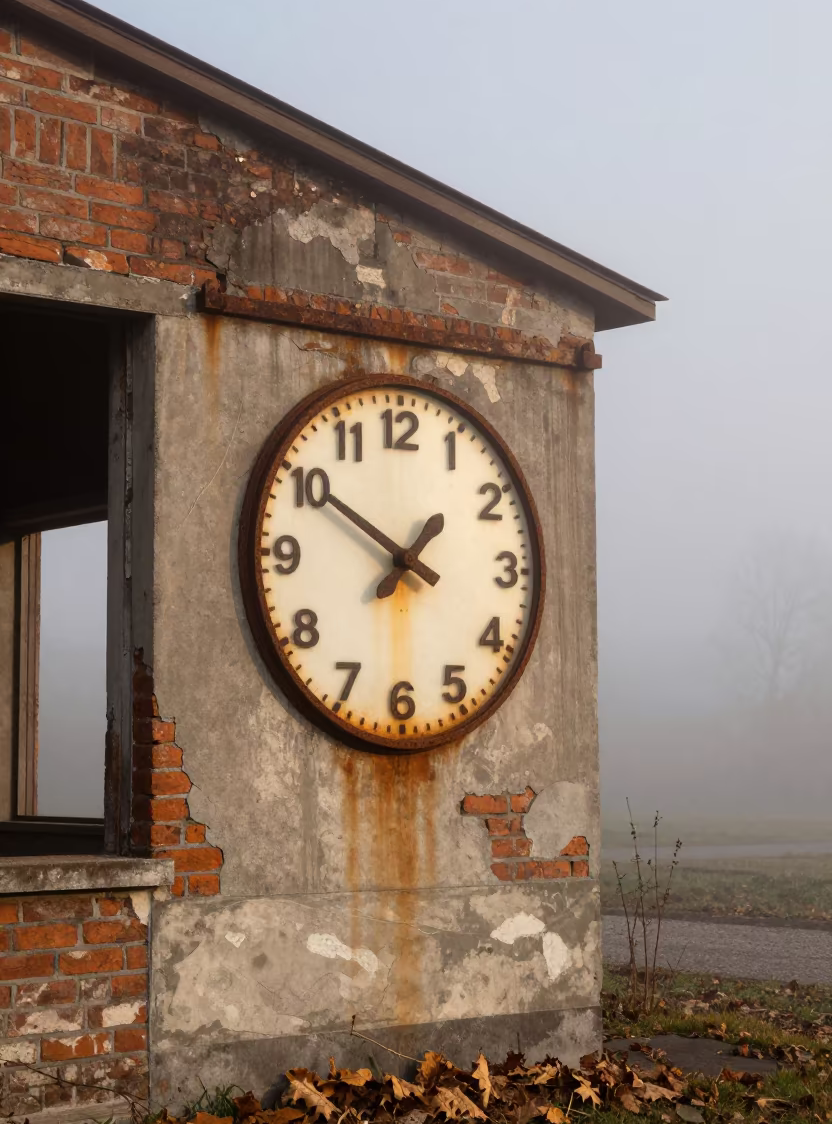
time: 1:50
